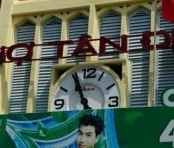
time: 10:55
